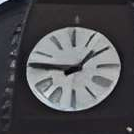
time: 1:46
